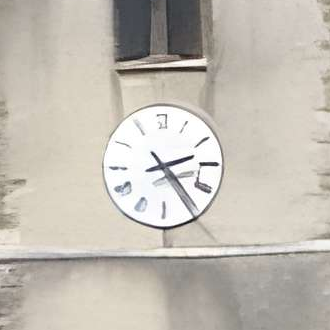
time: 2:23
